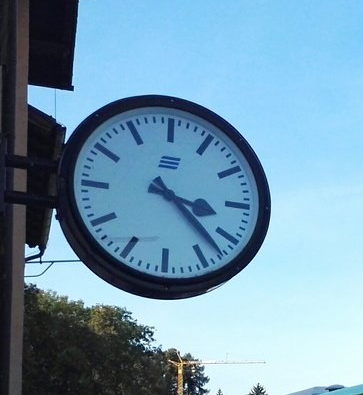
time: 3:22
